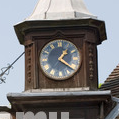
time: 1:21
